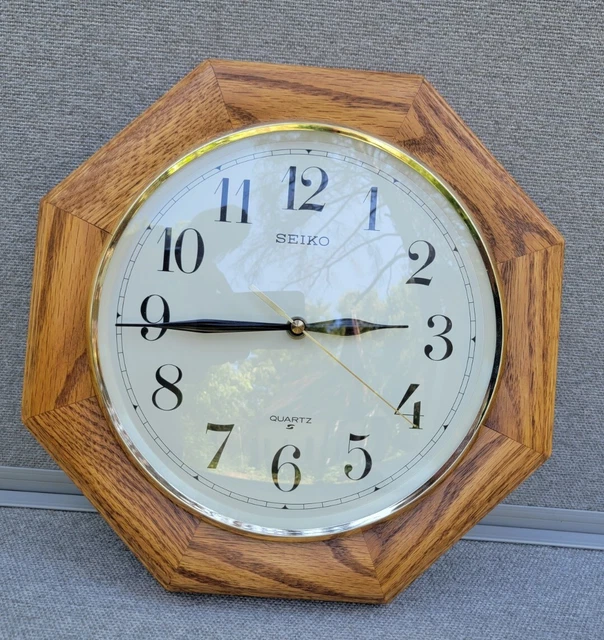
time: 2:44
